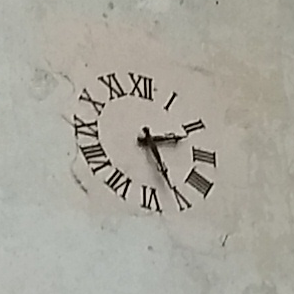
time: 2:25
